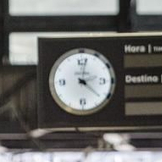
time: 12:22
